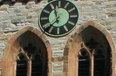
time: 11:37
